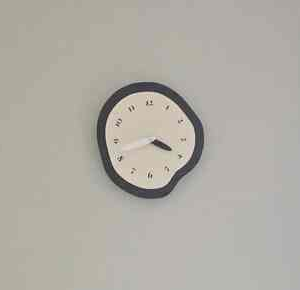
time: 3:42
